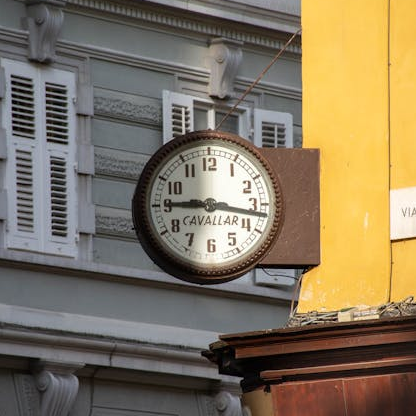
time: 9:16
